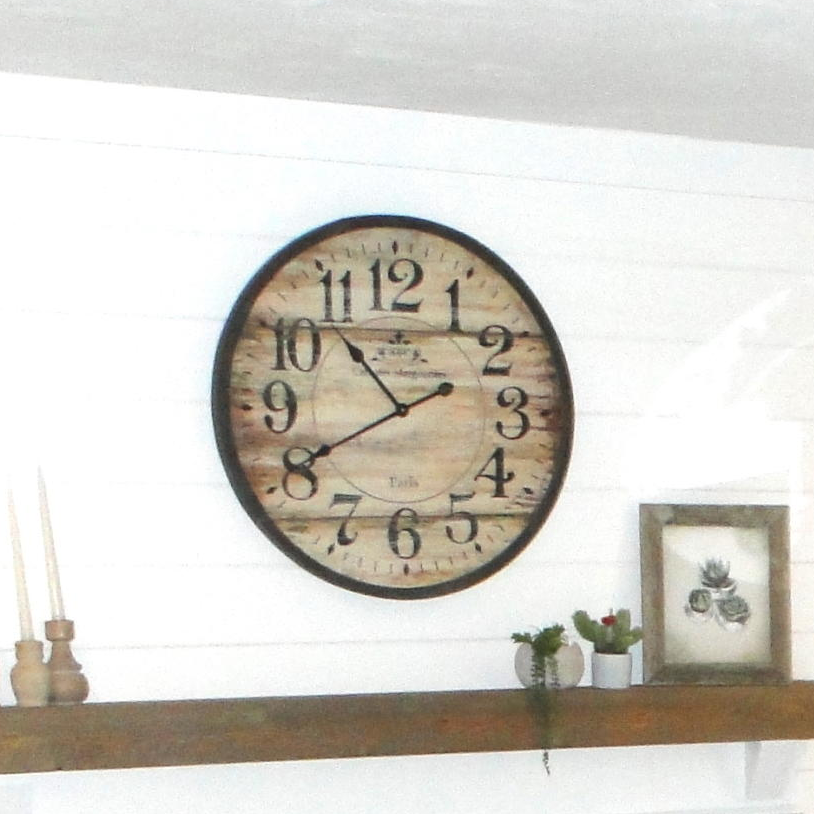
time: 10:40
